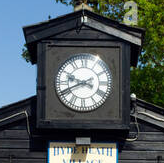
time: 9:41
